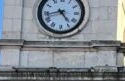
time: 4:42
